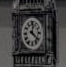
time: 12:21
